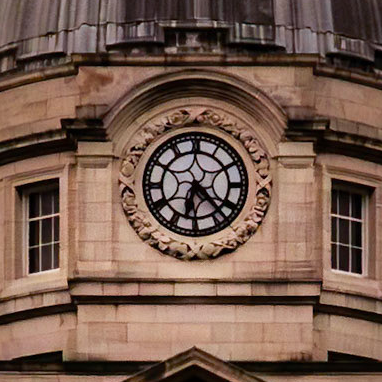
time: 6:21
